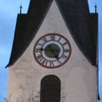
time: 4:45
